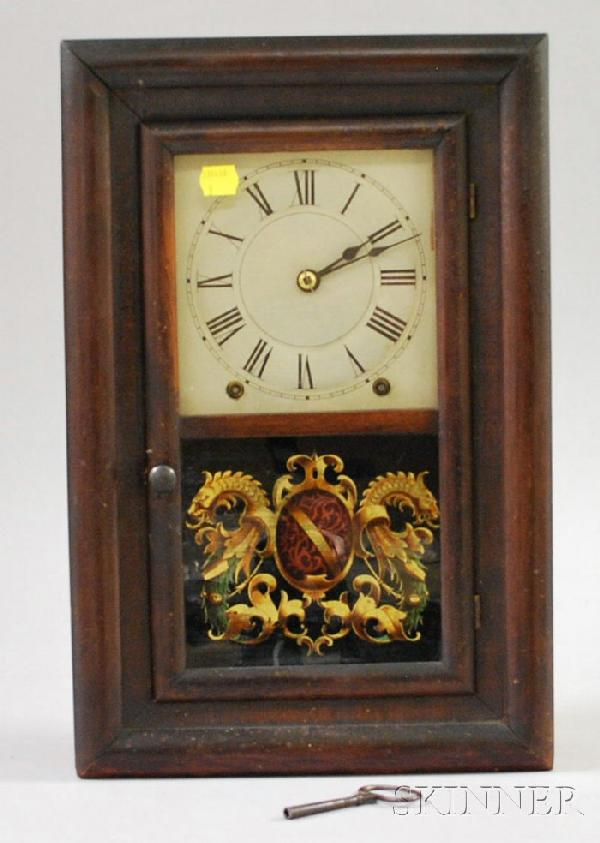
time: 2:09
